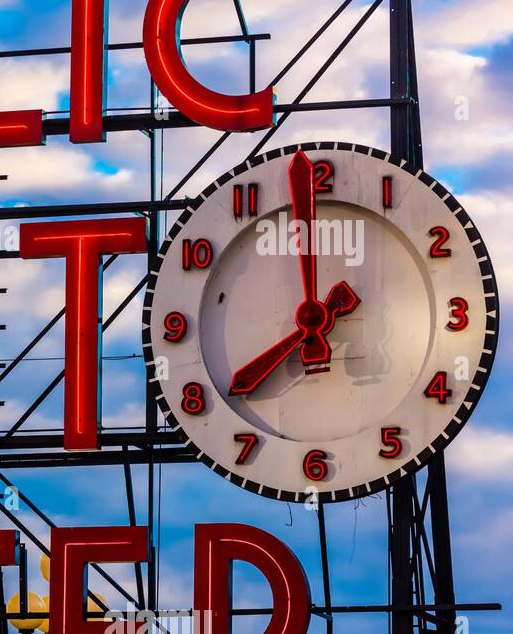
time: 7:59
